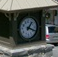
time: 1:18
